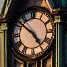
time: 4:51
